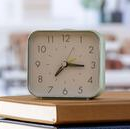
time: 7:15
